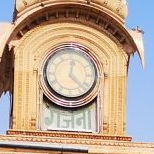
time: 12:22
